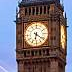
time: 6:21
